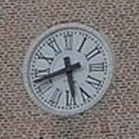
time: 5:42
